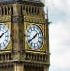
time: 1:39
